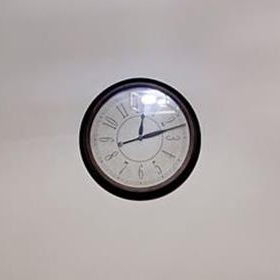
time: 12:12
